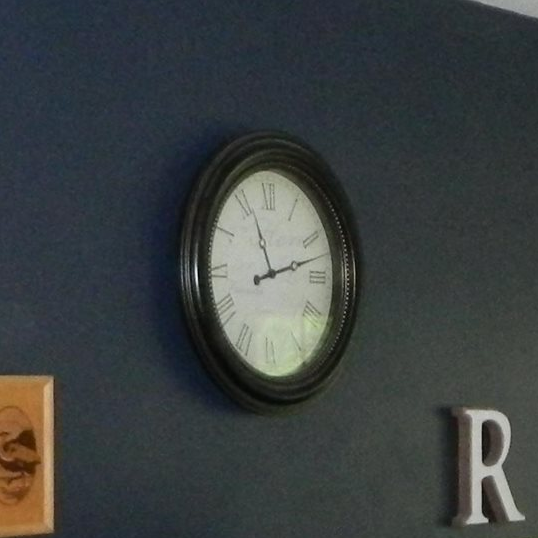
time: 11:12
